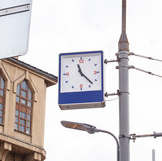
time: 11:22
